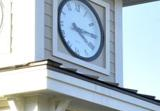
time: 4:14
